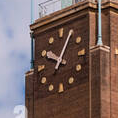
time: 10:05
